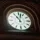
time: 11:02
